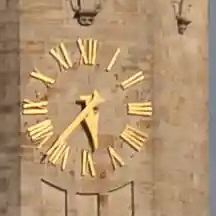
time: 5:36
